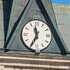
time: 11:34
